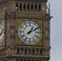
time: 1:10
